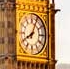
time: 8:04
